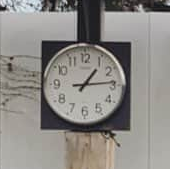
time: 1:13
